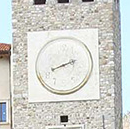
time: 8:11
